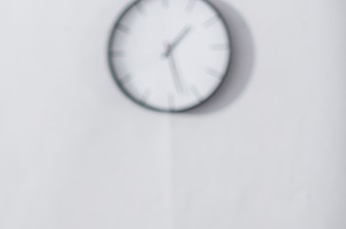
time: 1:27
